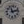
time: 11:12
